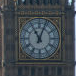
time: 11:03
